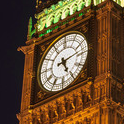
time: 5:13
